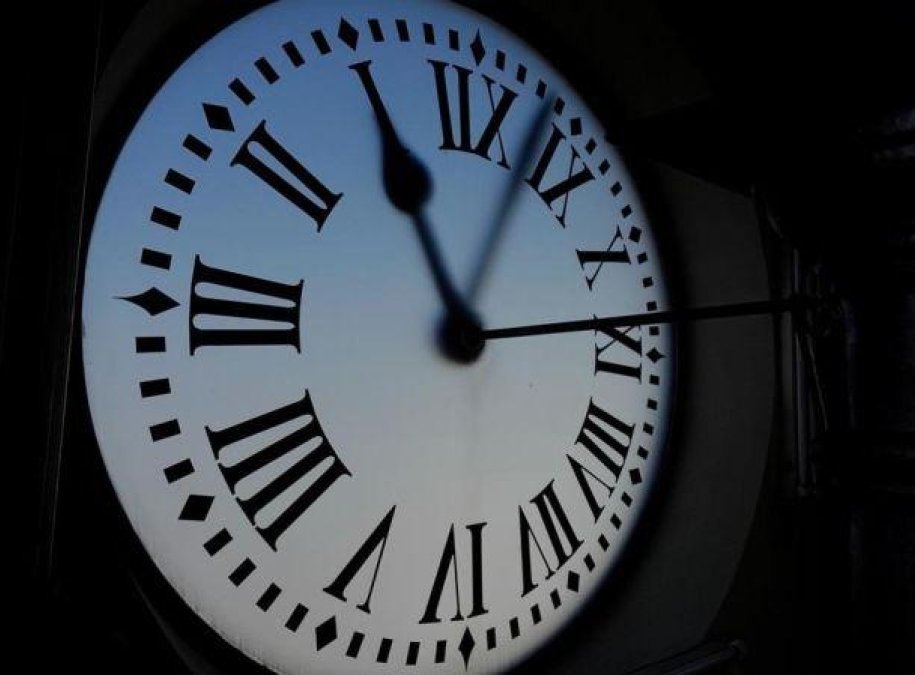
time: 11:03
